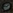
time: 1:46
